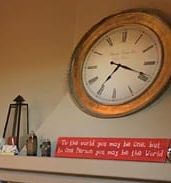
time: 7:18
